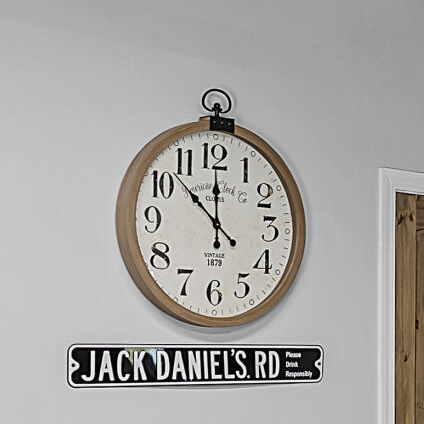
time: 11:52
